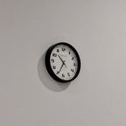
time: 10:34
